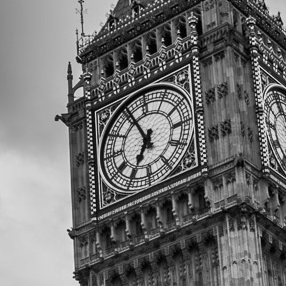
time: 6:56
